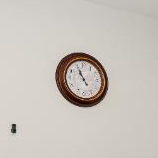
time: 10:55
